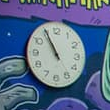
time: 10:55
